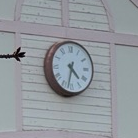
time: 4:32
